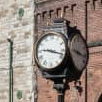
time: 9:17
